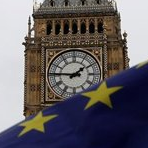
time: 1:46
